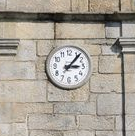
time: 3:06
